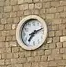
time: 7:12
